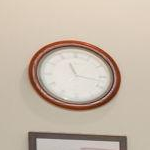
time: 11:16
